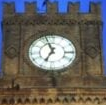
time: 6:56
